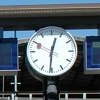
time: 12:30
